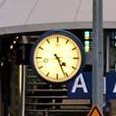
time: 4:26
